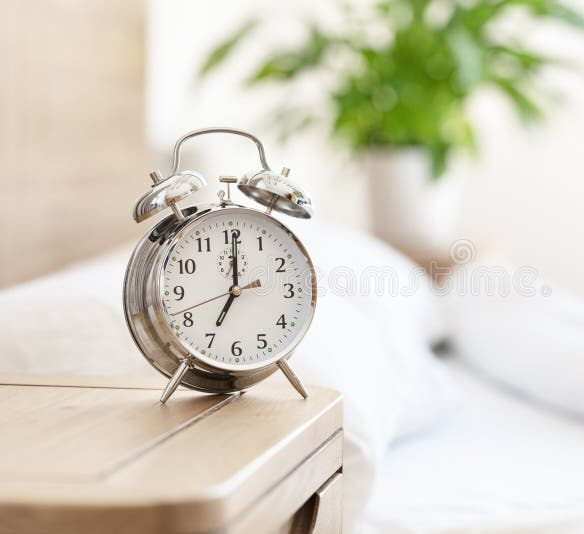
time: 7:00
